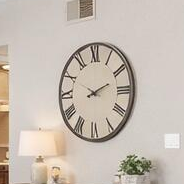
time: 2:11
